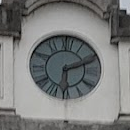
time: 6:11
